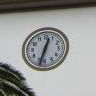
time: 12:32
